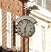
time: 6:03
